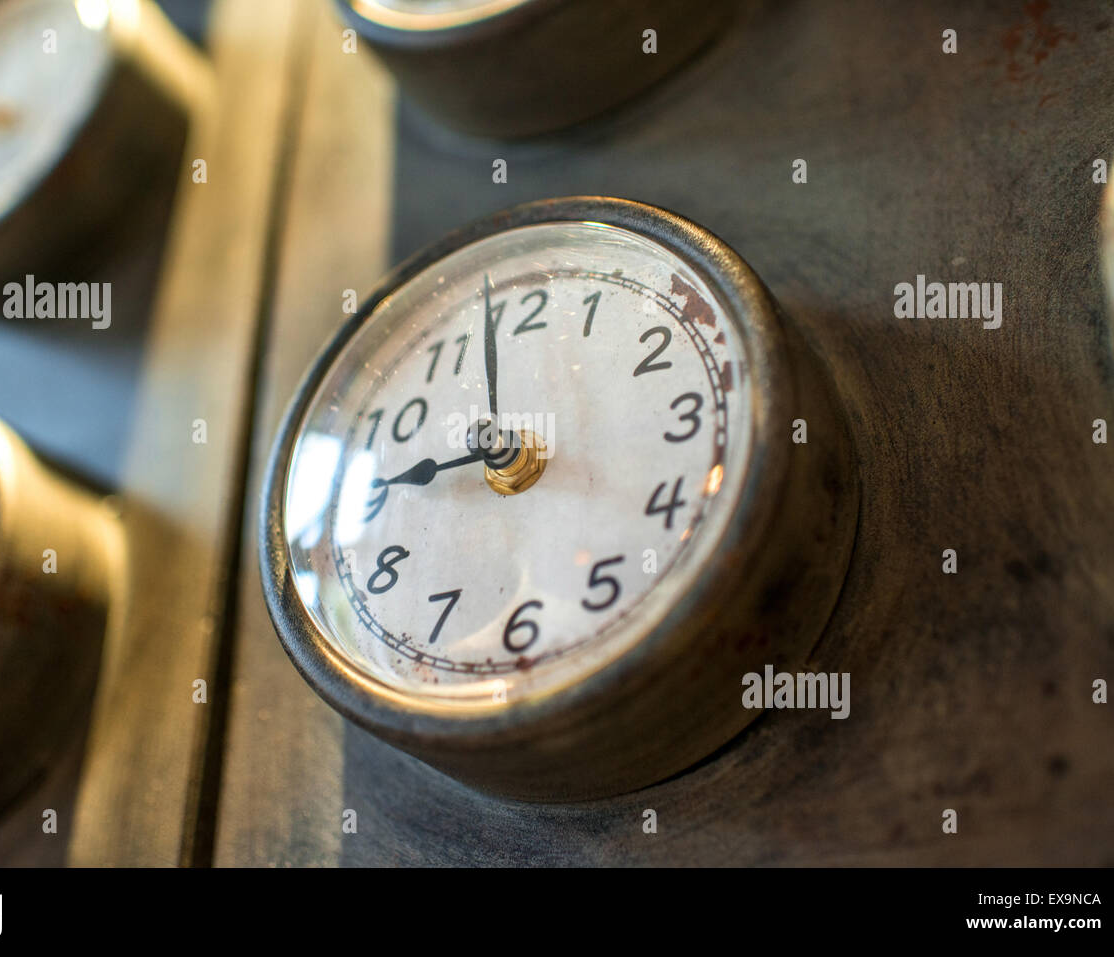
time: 8:58
